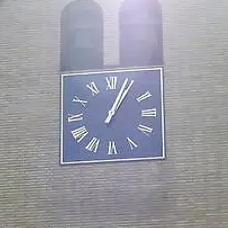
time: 1:04
